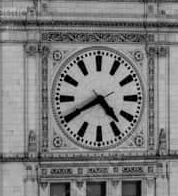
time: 4:40
